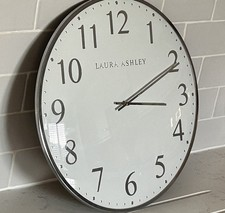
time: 3:10
